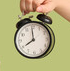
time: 7:59
